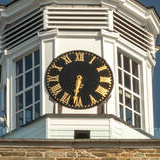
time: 6:32
